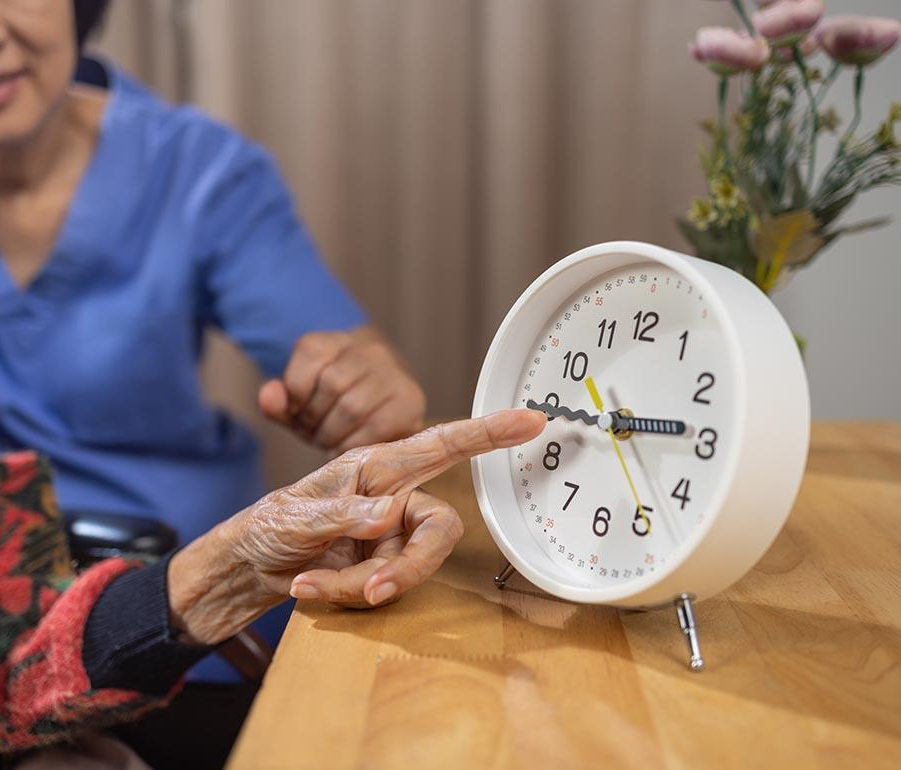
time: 2:44
